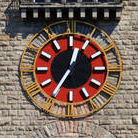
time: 12:35
